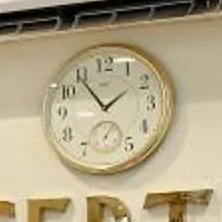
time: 1:54
